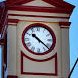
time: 10:21
